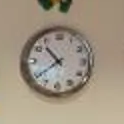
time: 10:39
